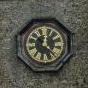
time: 12:23
